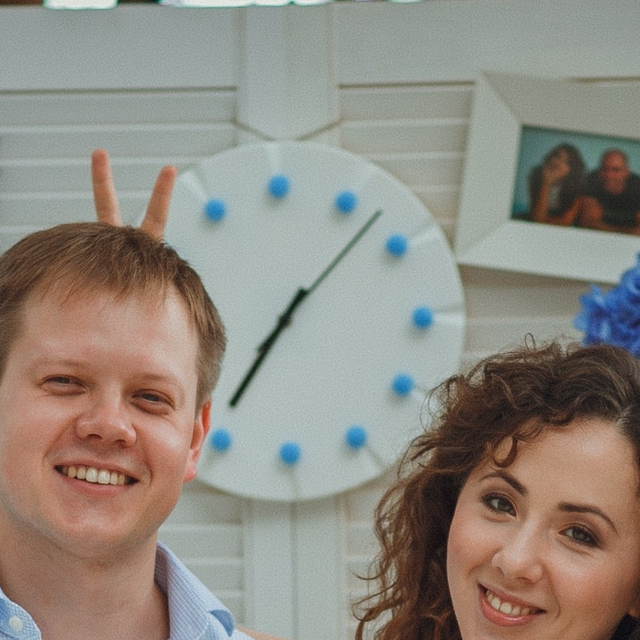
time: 7:07
